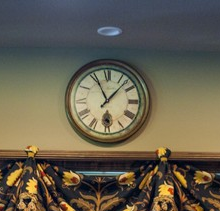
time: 11:07
